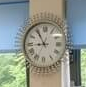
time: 8:54
